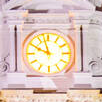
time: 9:57
